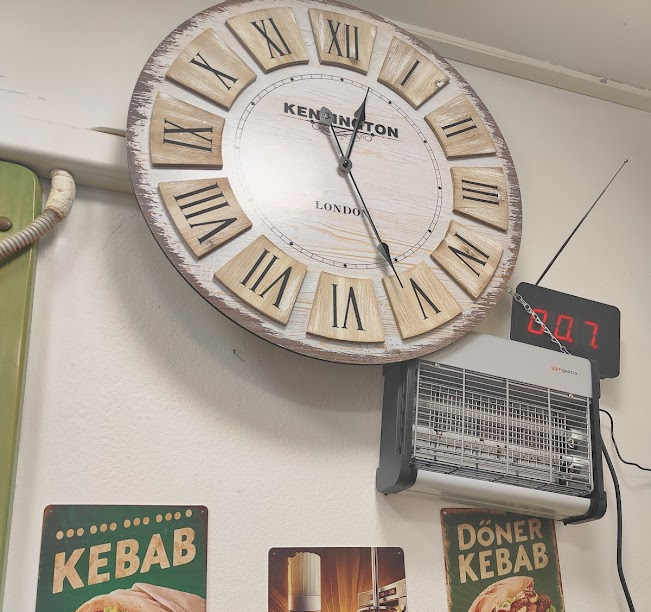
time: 12:25
